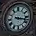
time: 3:17
